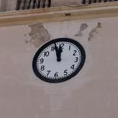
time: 11:56
